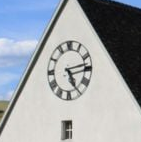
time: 5:13
